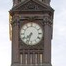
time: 7:33
